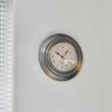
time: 10:07
